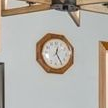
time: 12:24
